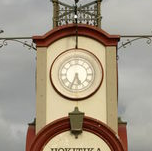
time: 5:33
